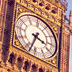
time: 3:33
